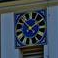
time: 1:52
